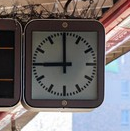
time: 8:59
